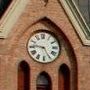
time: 9:25
